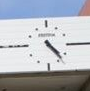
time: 4:23
